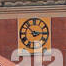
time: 2:52
